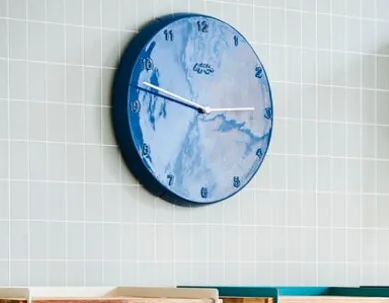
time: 3:47
